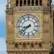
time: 8:38
